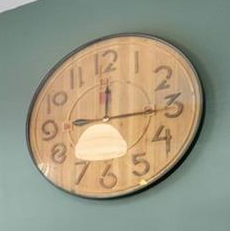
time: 9:15
